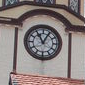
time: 11:04
